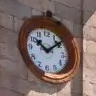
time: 10:08
